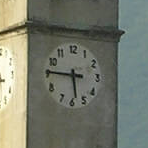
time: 5:45
